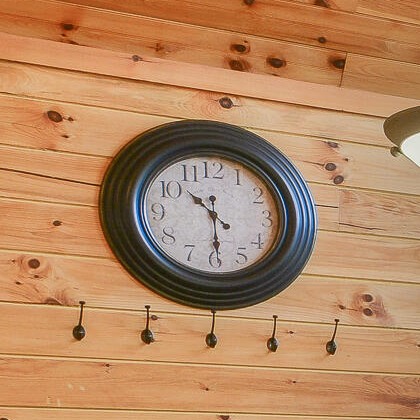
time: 10:29
